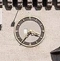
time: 3:36
